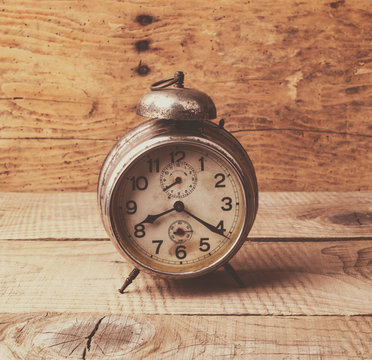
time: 8:20
